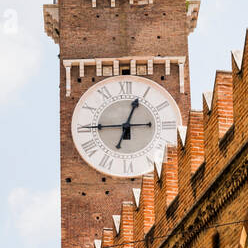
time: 12:45
